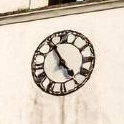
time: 4:55
